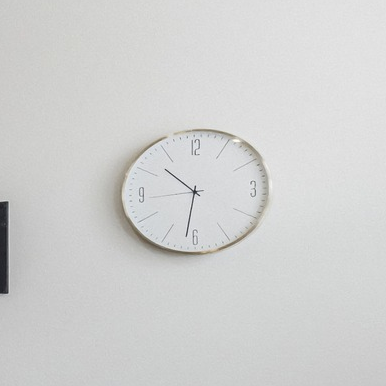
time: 10:31
